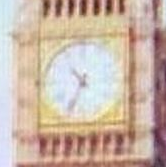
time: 10:34
